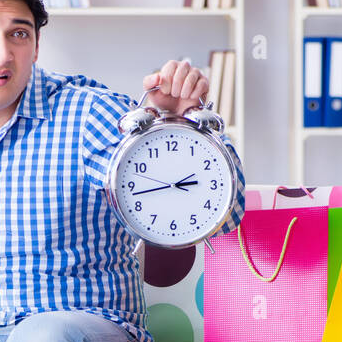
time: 2:42
